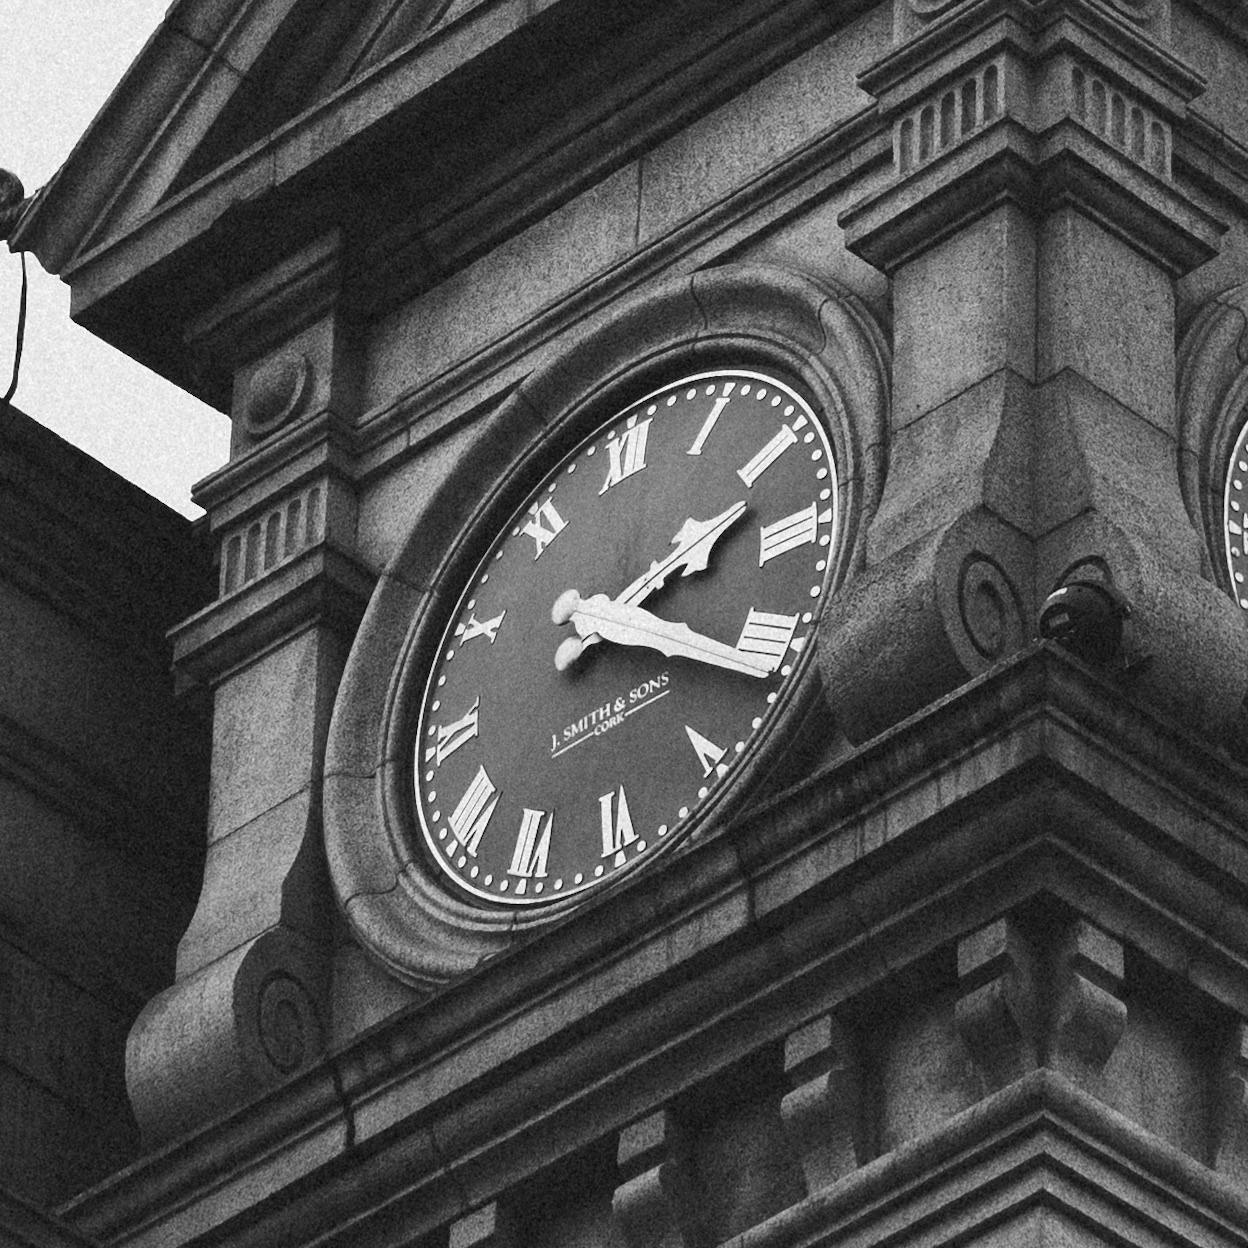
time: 2:21
